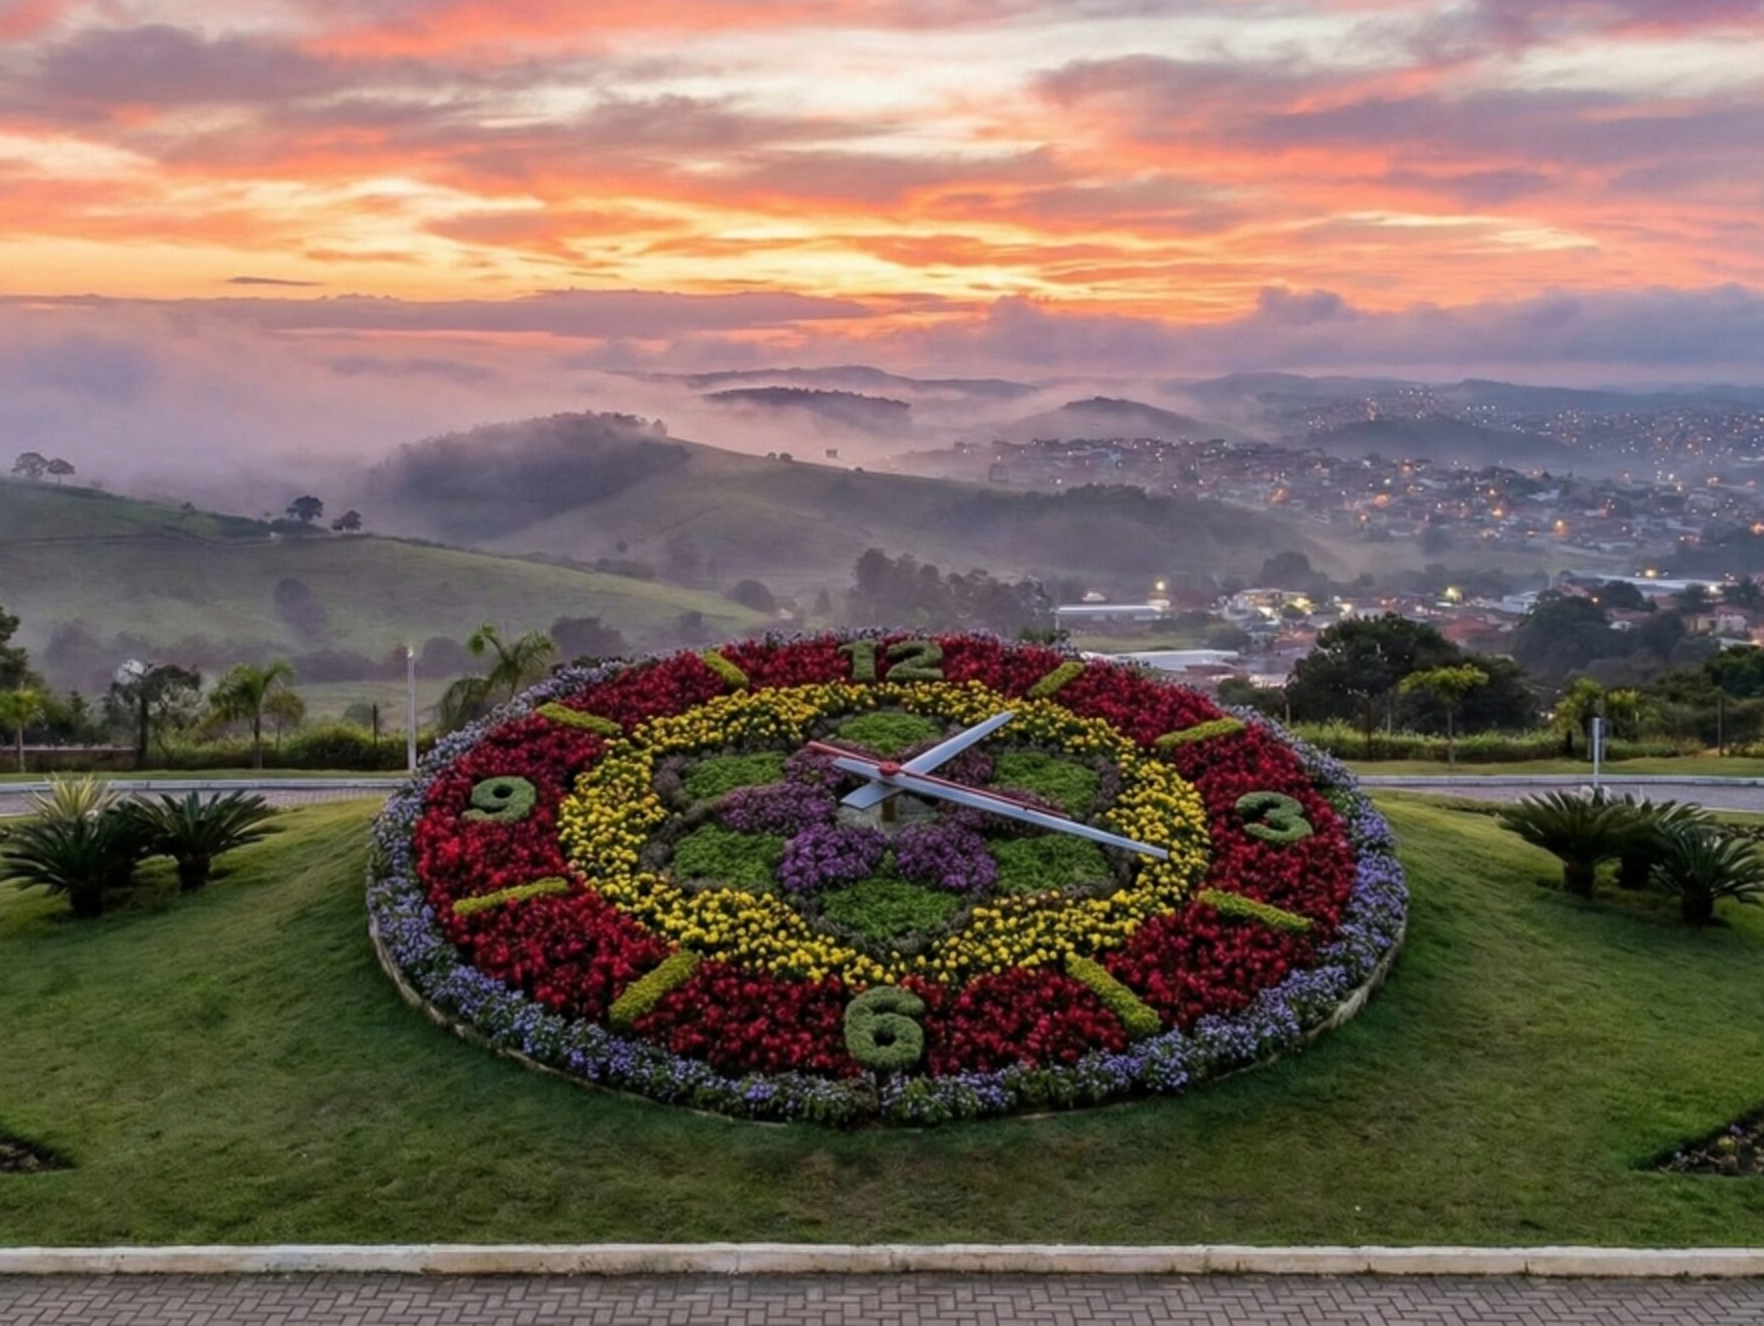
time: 1:18
